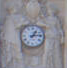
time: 1:13
